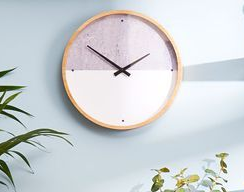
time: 1:50
